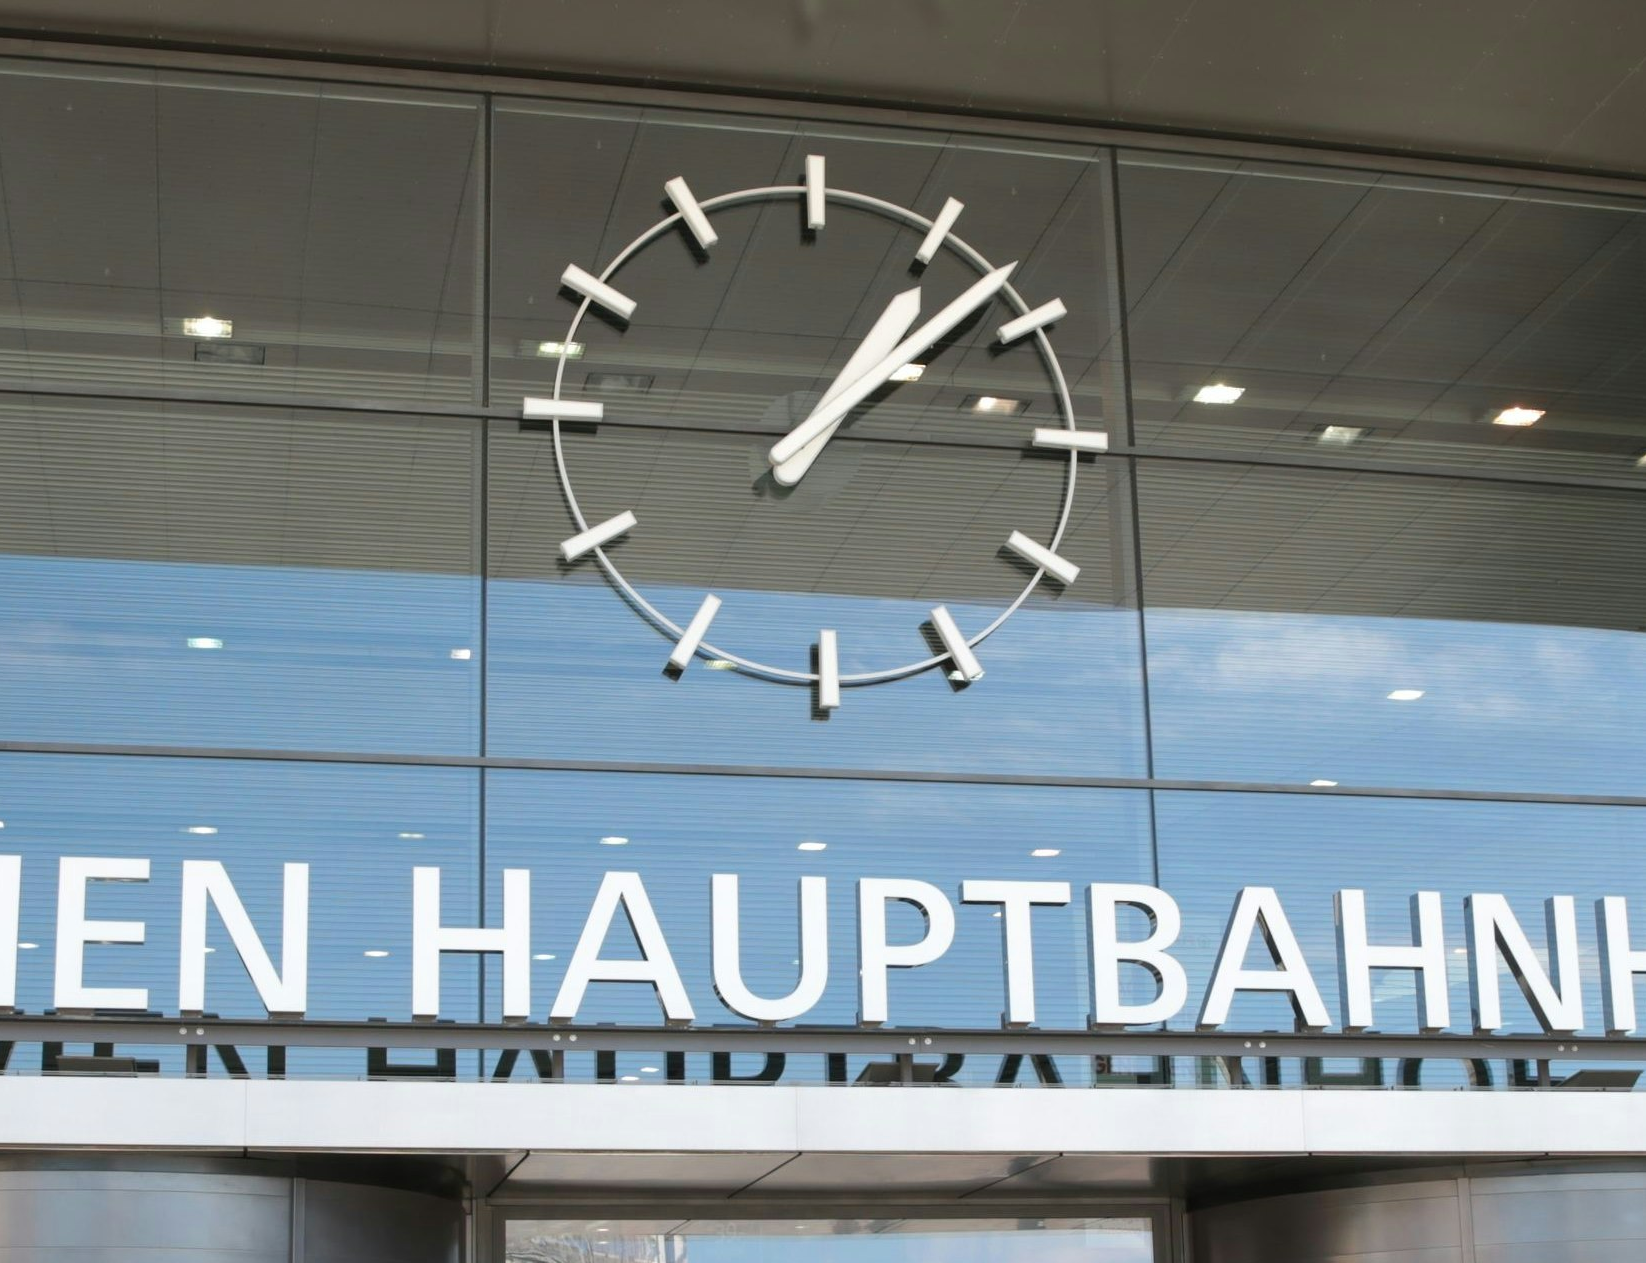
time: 1:08
